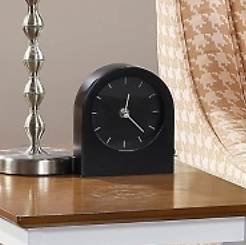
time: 12:22
